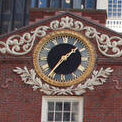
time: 1:36
